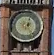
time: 12:24
